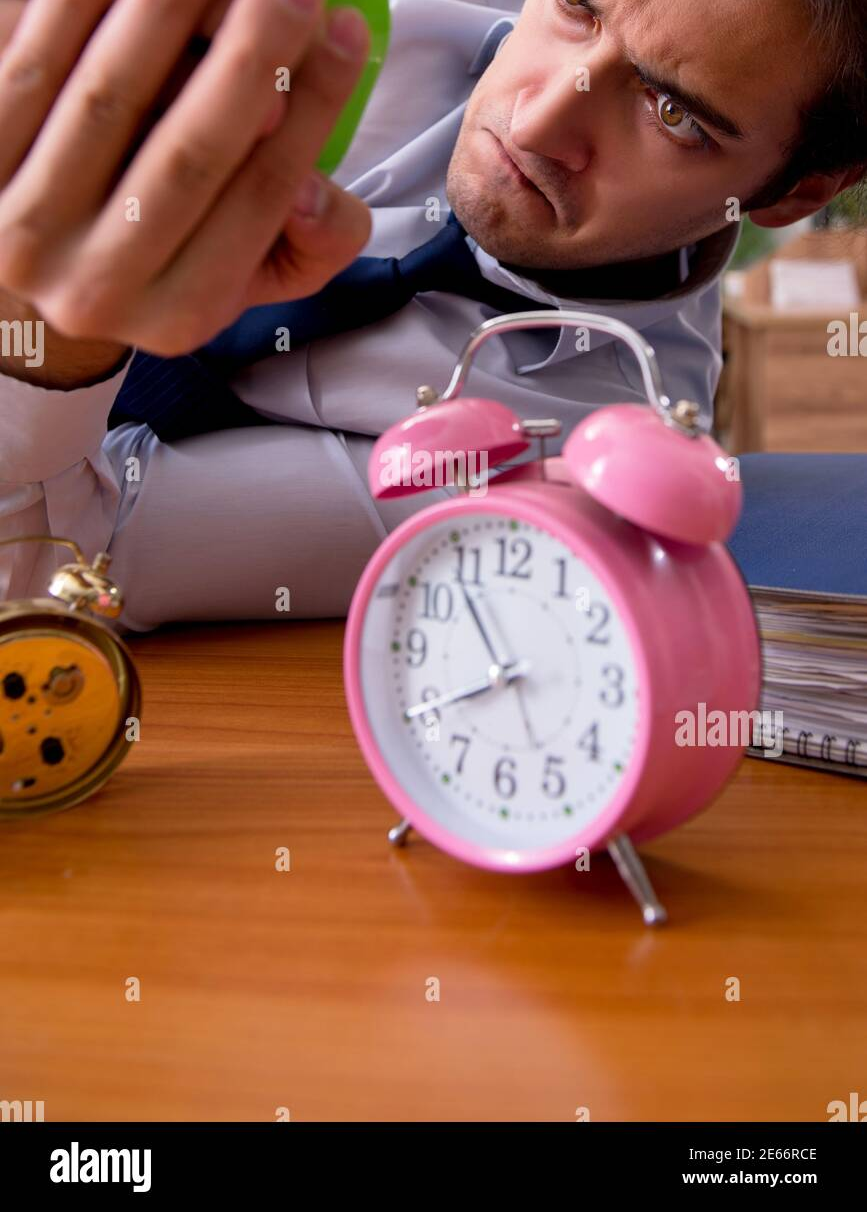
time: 7:54
